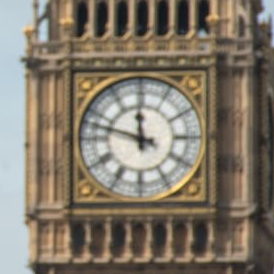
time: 11:47
